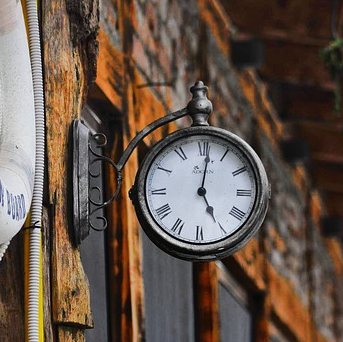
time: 5:01
